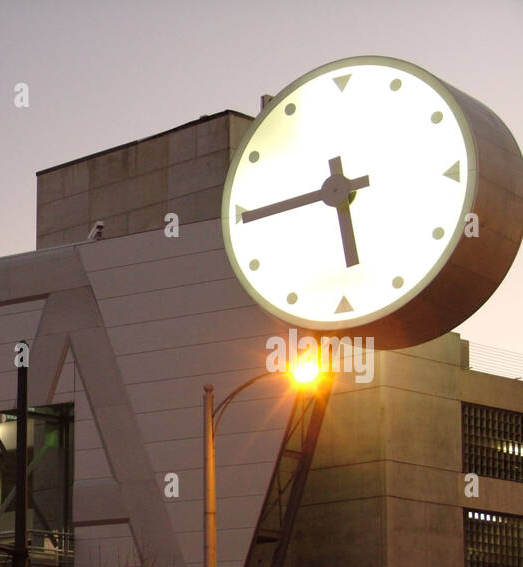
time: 5:44
